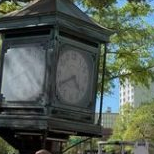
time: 4:40
